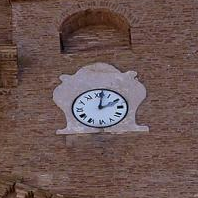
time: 2:01
